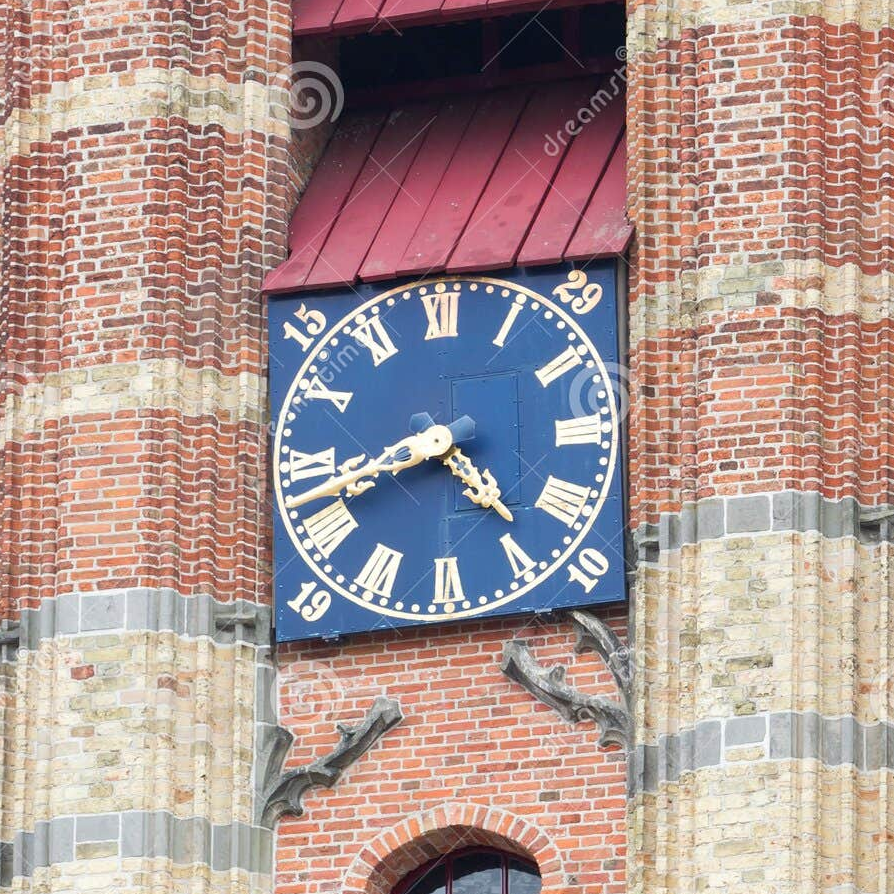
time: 4:42
